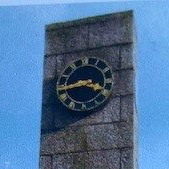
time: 3:43
